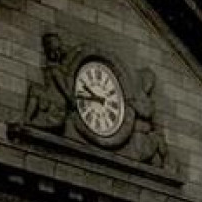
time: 9:43
